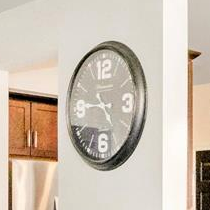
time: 4:45
